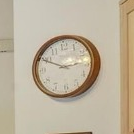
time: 2:49
